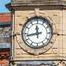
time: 11:43
